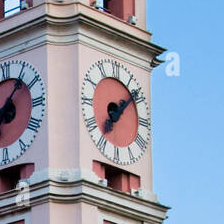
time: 7:08
